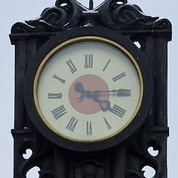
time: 4:14
